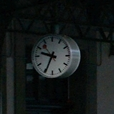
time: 9:34
